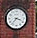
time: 3:36
